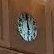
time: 5:59
